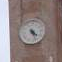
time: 4:26
